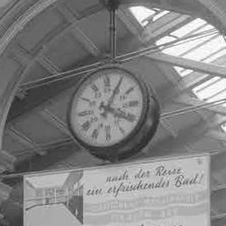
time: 4:04
